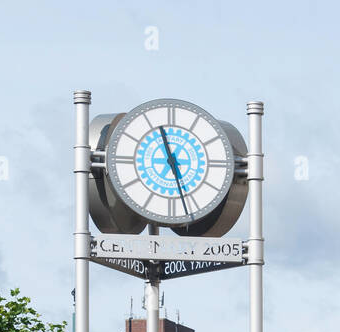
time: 6:56
